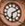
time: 6:10
